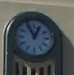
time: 12:55
